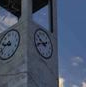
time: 9:42
